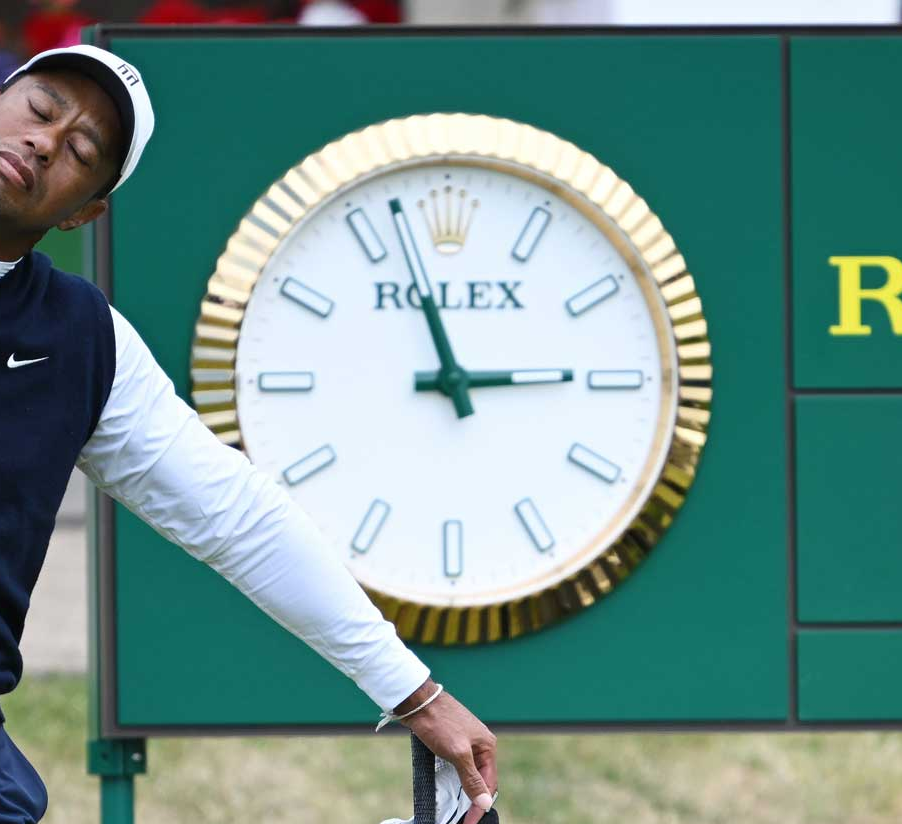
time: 2:56
